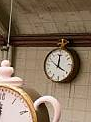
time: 12:20
